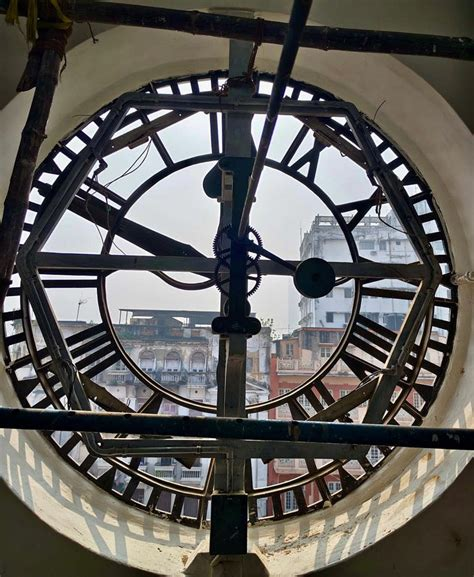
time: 2:48
